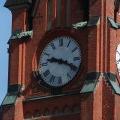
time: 9:19
